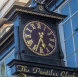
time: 5:34
